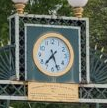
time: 7:26
